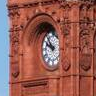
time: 9:53
